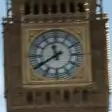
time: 11:39
